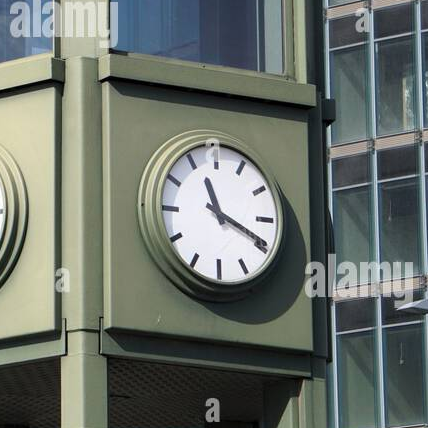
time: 11:19
